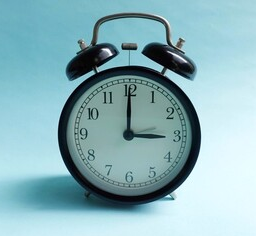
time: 3:00
